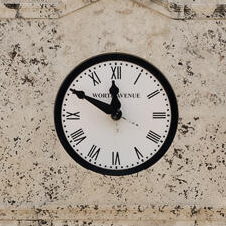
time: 11:49
